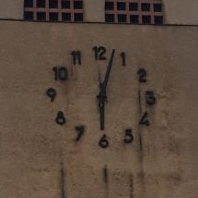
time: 6:02
